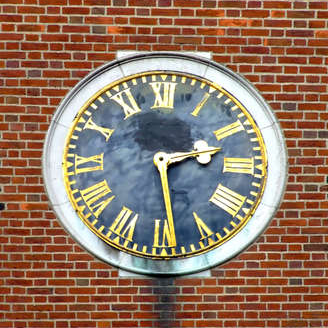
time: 2:28
